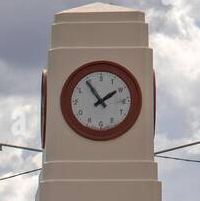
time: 1:54
